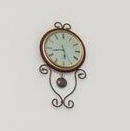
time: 5:44
